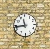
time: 11:43
